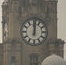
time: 12:01
